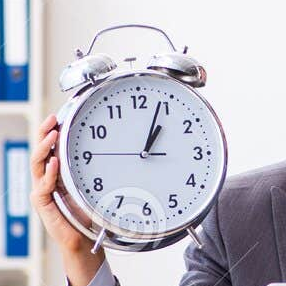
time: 1:03
